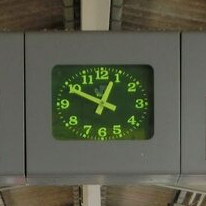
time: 12:49
